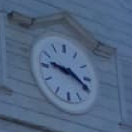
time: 9:19
